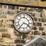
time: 3:36
